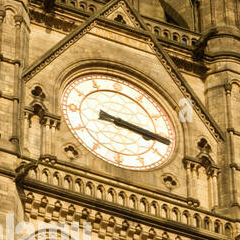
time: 3:17
